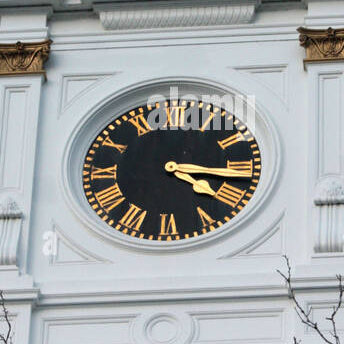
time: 4:16
